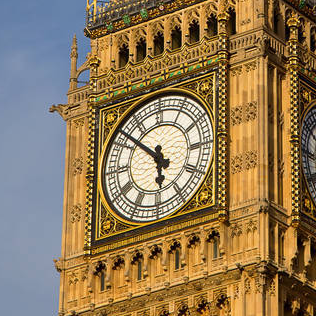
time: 5:51
